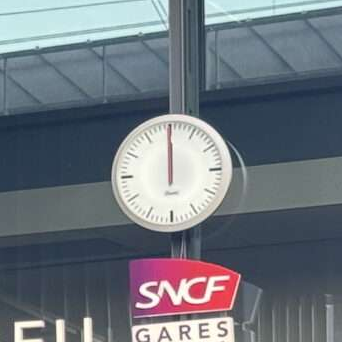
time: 11:59
